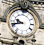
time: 9:42
